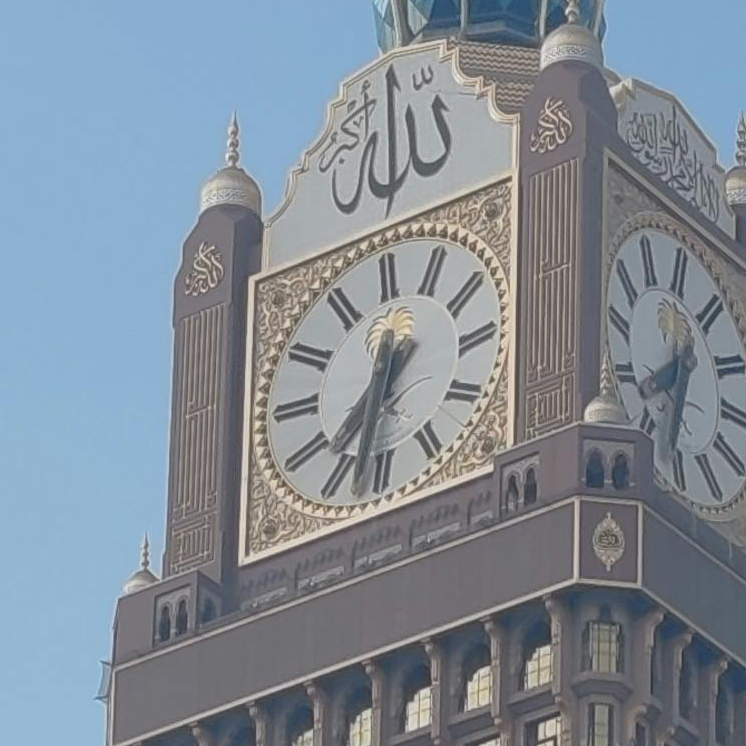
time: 7:32
